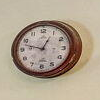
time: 12:47
